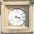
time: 3:22
